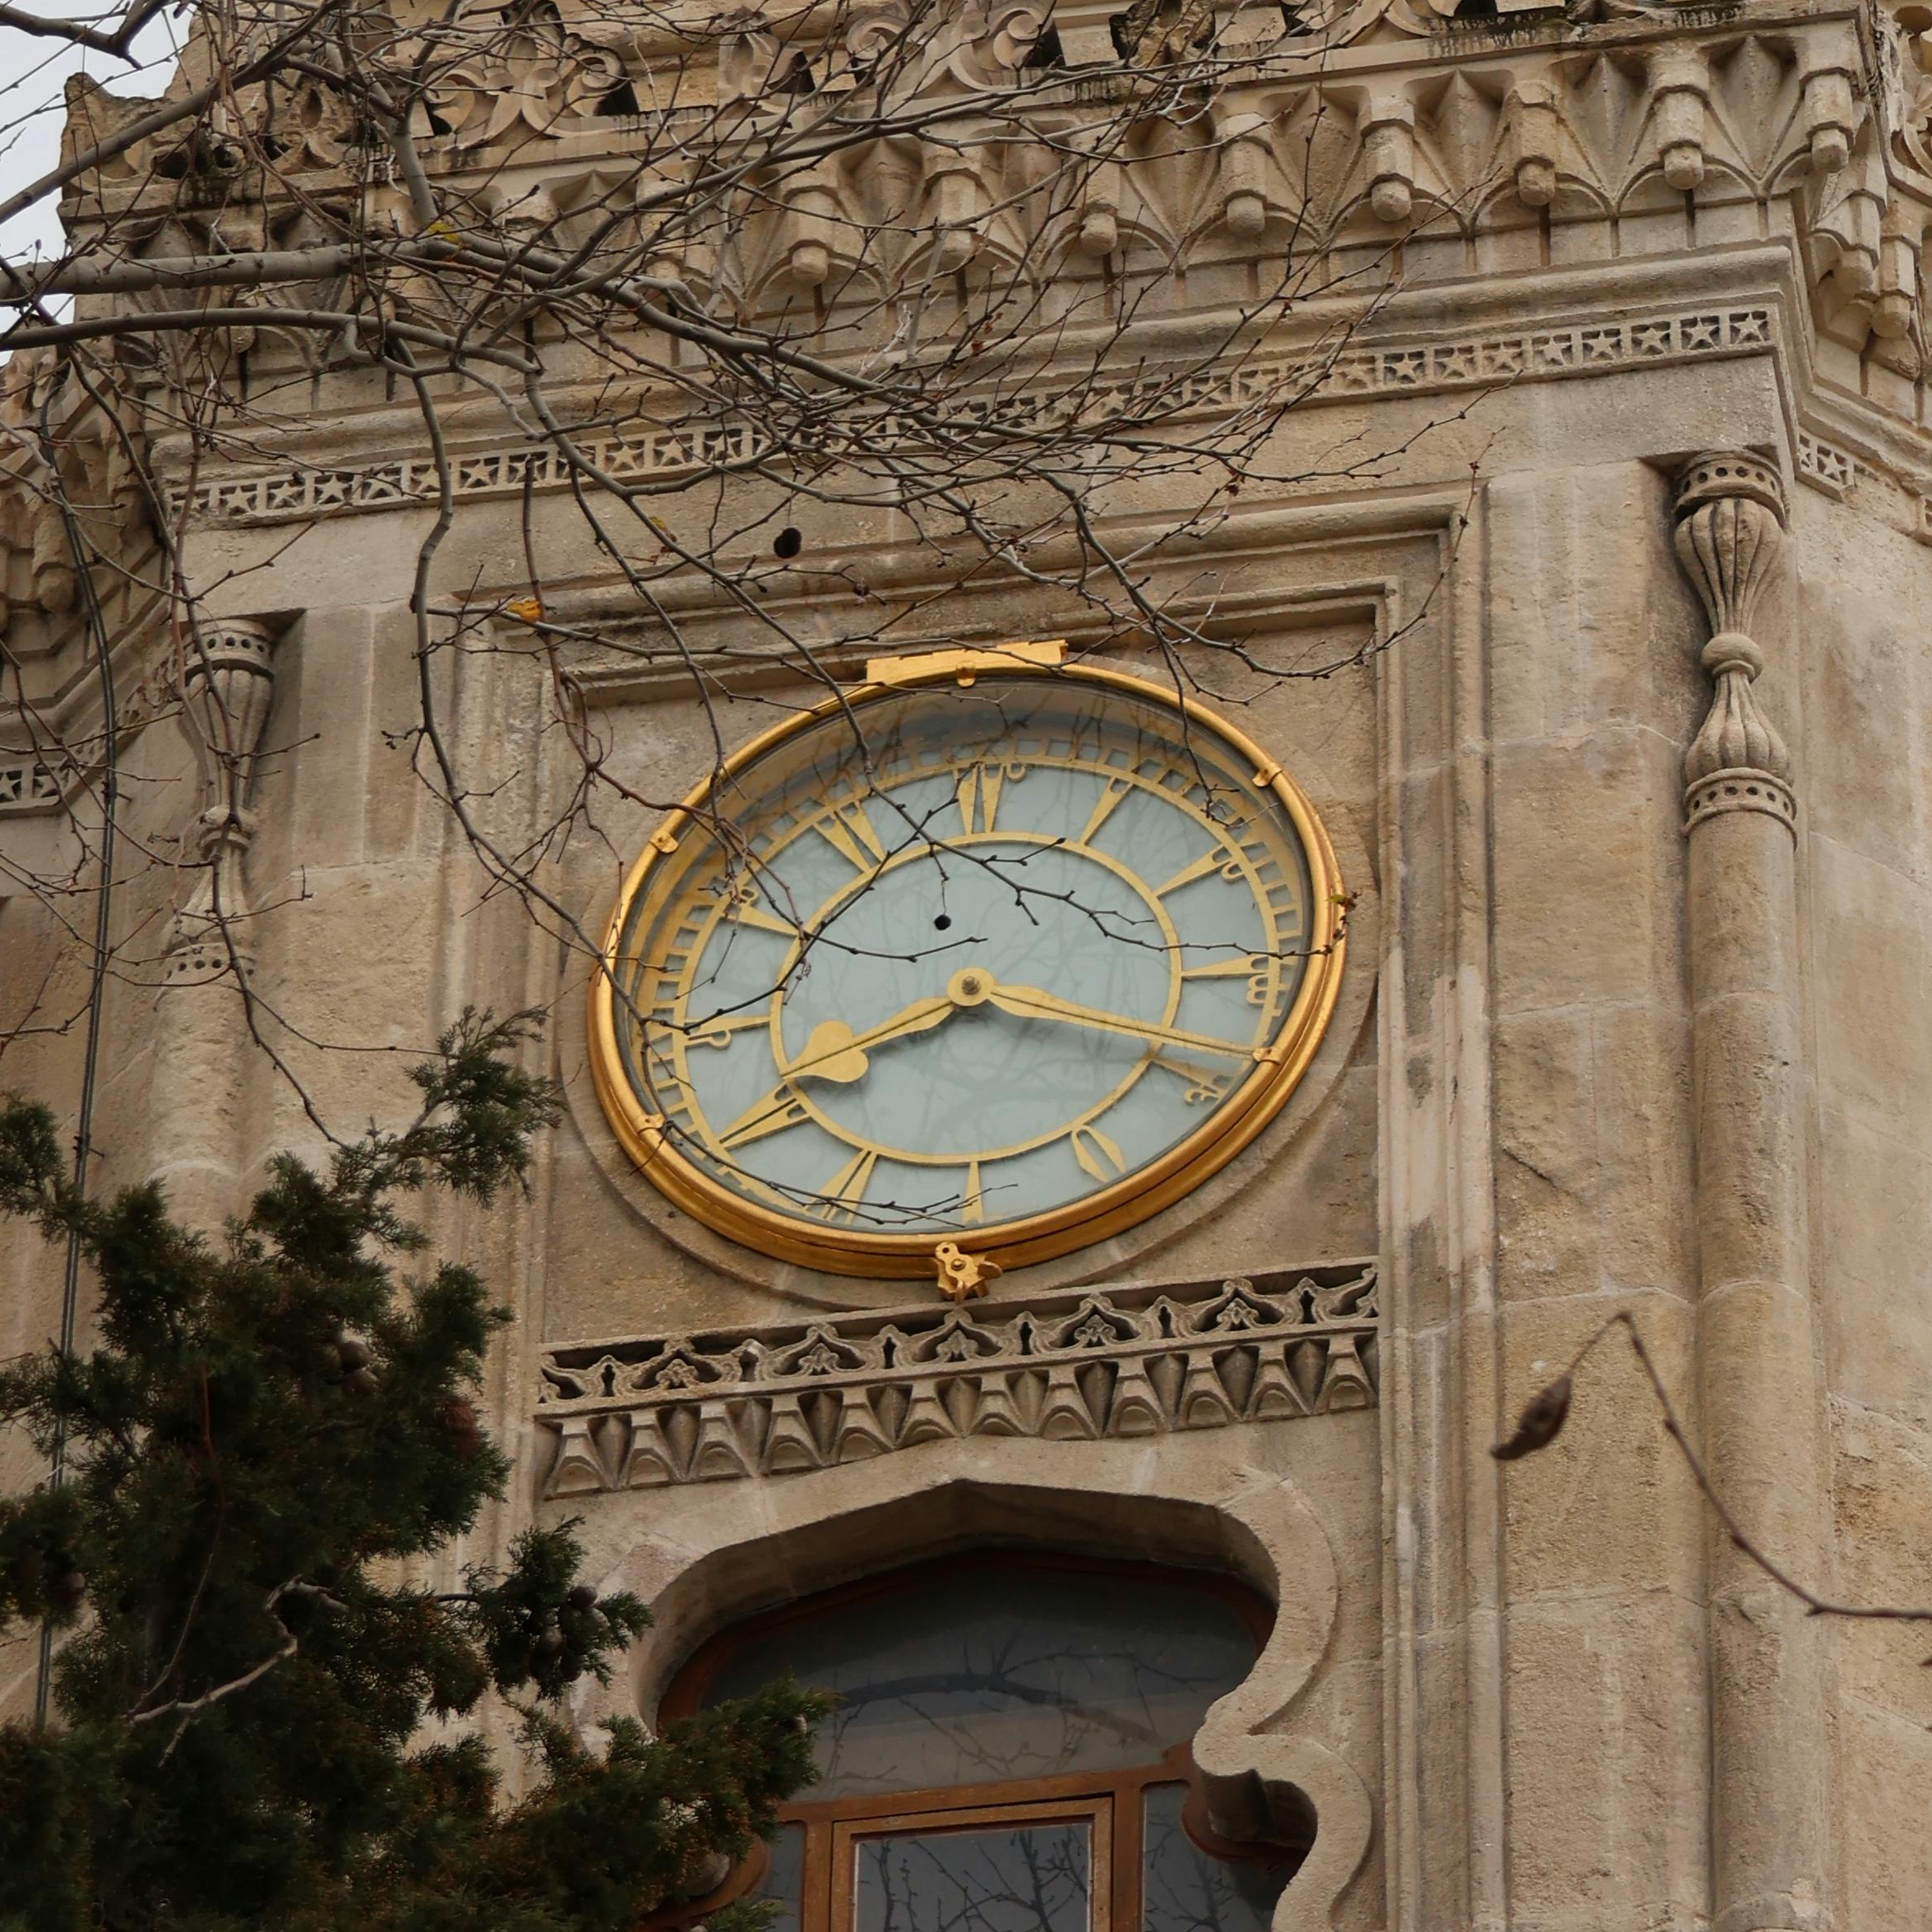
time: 8:18
